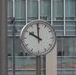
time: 9:59
